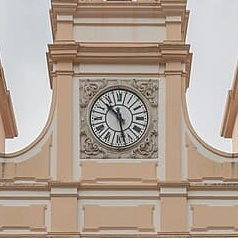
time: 10:28
